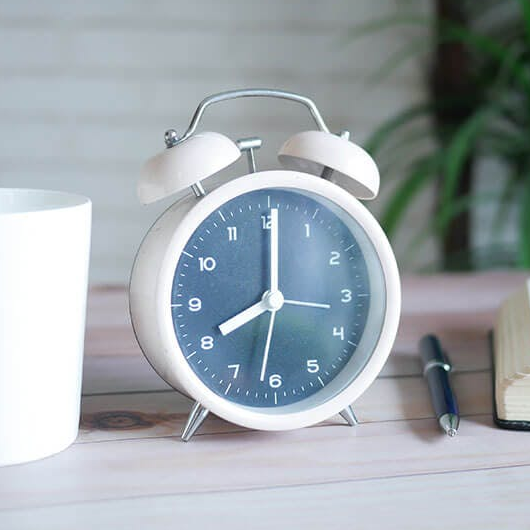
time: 8:00
